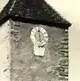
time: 5:59
